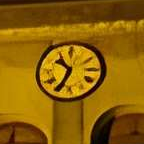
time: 10:34
